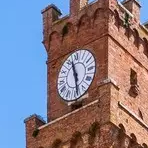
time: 11:28
